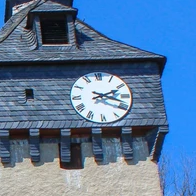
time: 2:18
